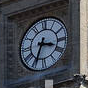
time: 3:33
